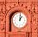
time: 1:01
